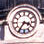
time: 3:35
